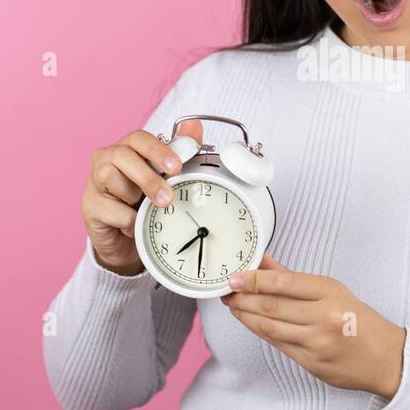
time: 7:30
